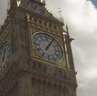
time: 1:05
